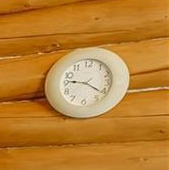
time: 9:20
